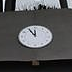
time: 11:55
